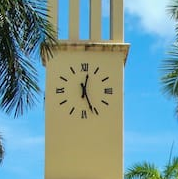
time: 12:26
